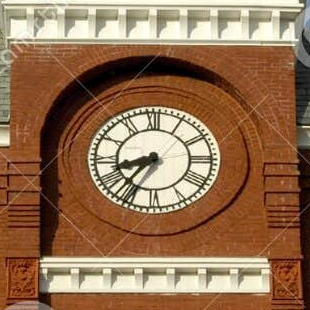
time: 8:36
